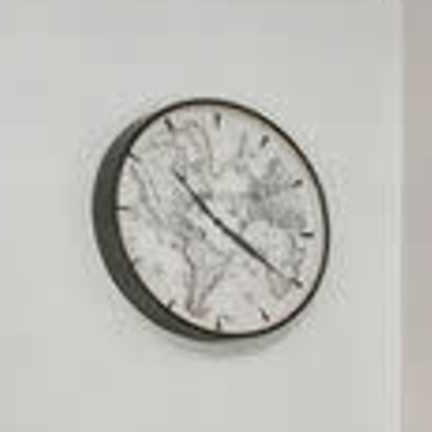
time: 10:20
